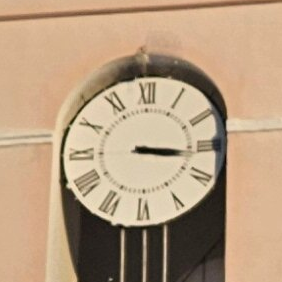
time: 3:16
